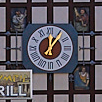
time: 12:06
